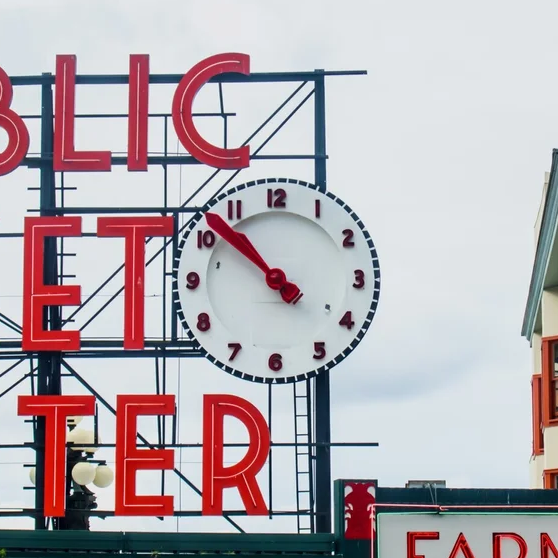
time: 10:51
